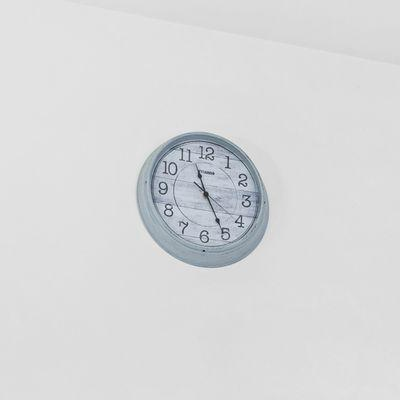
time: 11:25
